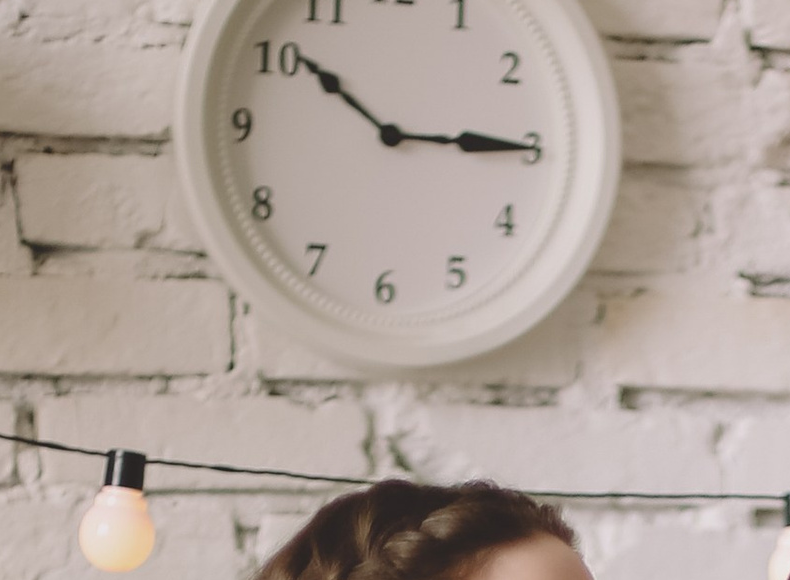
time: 10:14
